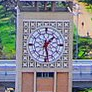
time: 1:28
